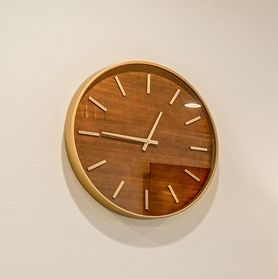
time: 12:45
